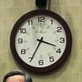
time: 3:34
